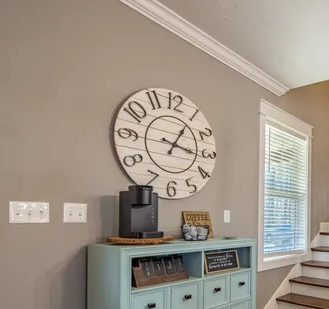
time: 1:16
